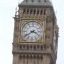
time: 3:39
